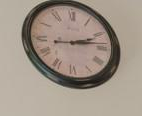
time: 2:13
